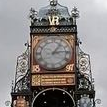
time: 1:13
